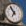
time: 6:54
